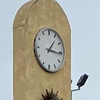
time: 1:15
